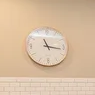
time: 11:16
